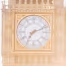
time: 7:11
